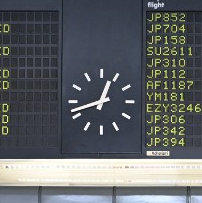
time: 12:42
